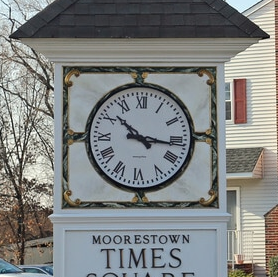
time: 10:16
